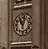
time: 11:02
